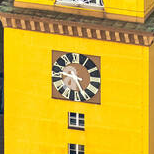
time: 9:25
